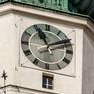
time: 11:10
